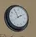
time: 1:55
